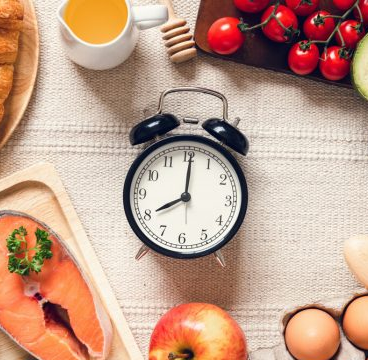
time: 8:00
